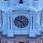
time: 4:50
